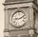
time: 9:11
